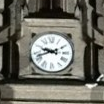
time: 9:42
